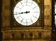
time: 8:43
